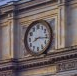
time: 8:16
